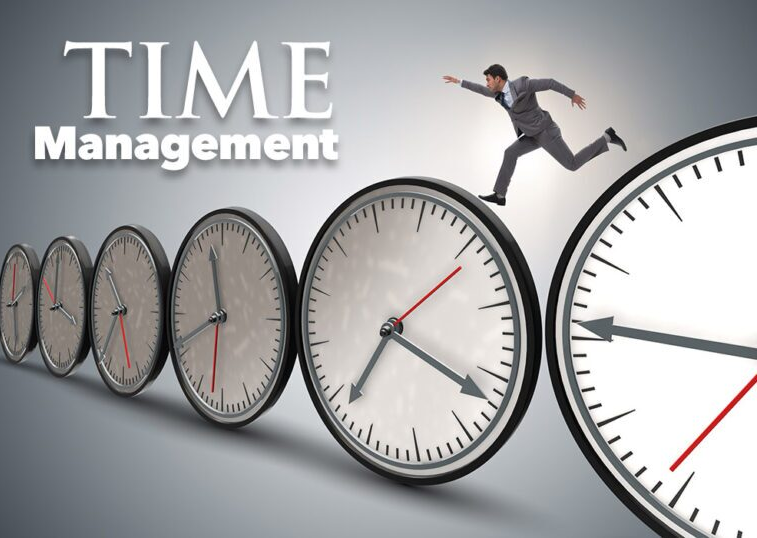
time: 7:21
